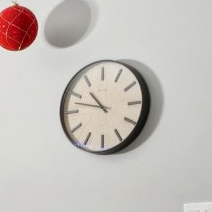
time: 10:47
